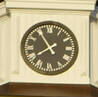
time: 7:54
